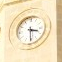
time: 3:30
